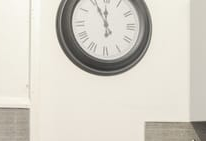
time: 11:55
